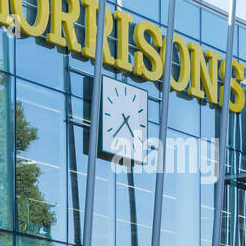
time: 4:37
